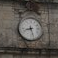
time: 8:27
